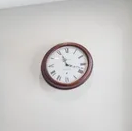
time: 11:17
